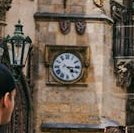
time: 4:15
